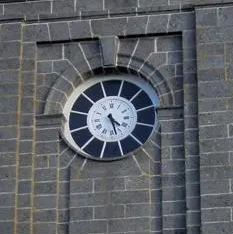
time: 4:26
